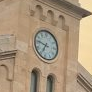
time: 6:46
